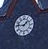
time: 1:46
